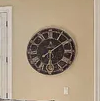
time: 6:09
